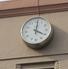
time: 4:01
